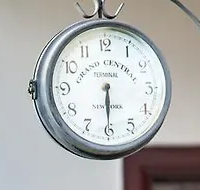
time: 6:30
